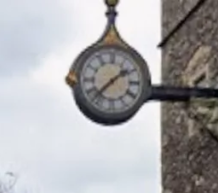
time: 1:37
